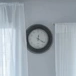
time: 12:20
